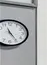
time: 11:24
